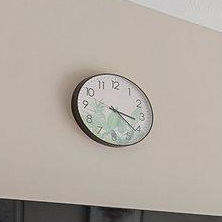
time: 3:21
